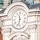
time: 11:32
